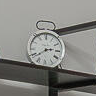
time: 2:38
